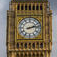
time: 2:12
